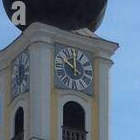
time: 10:00
